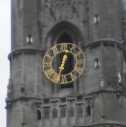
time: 12:32
